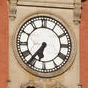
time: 6:36
